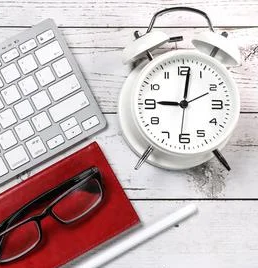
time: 9:01
